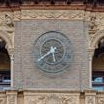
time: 5:38
